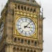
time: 3:06
